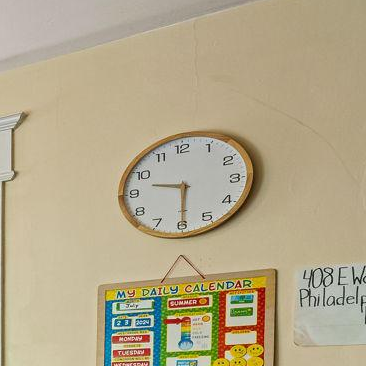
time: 9:29
